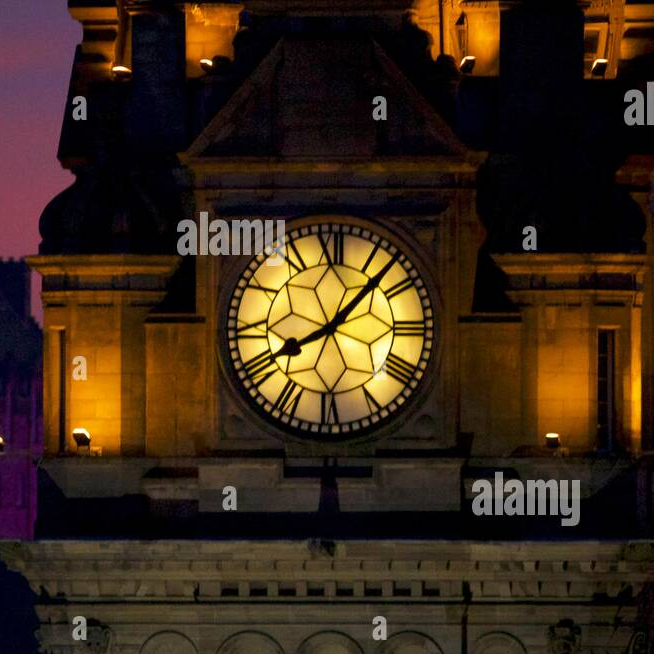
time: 8:07
